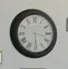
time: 3:29
